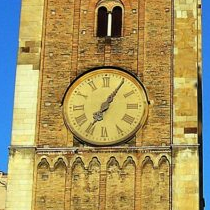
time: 7:05
